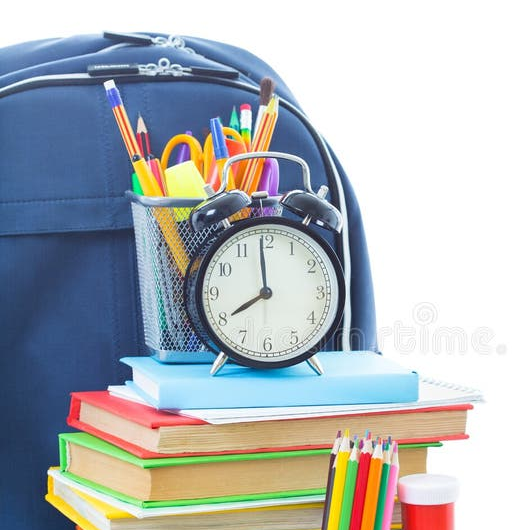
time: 7:59
